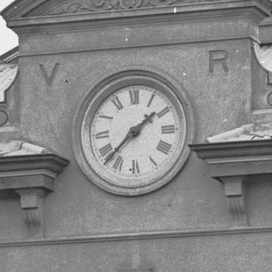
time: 1:37
